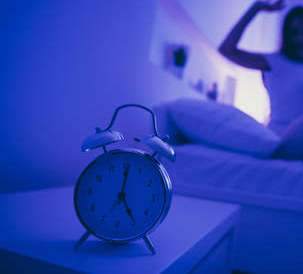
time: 5:01
